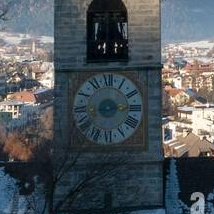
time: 8:13
